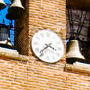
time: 3:37
